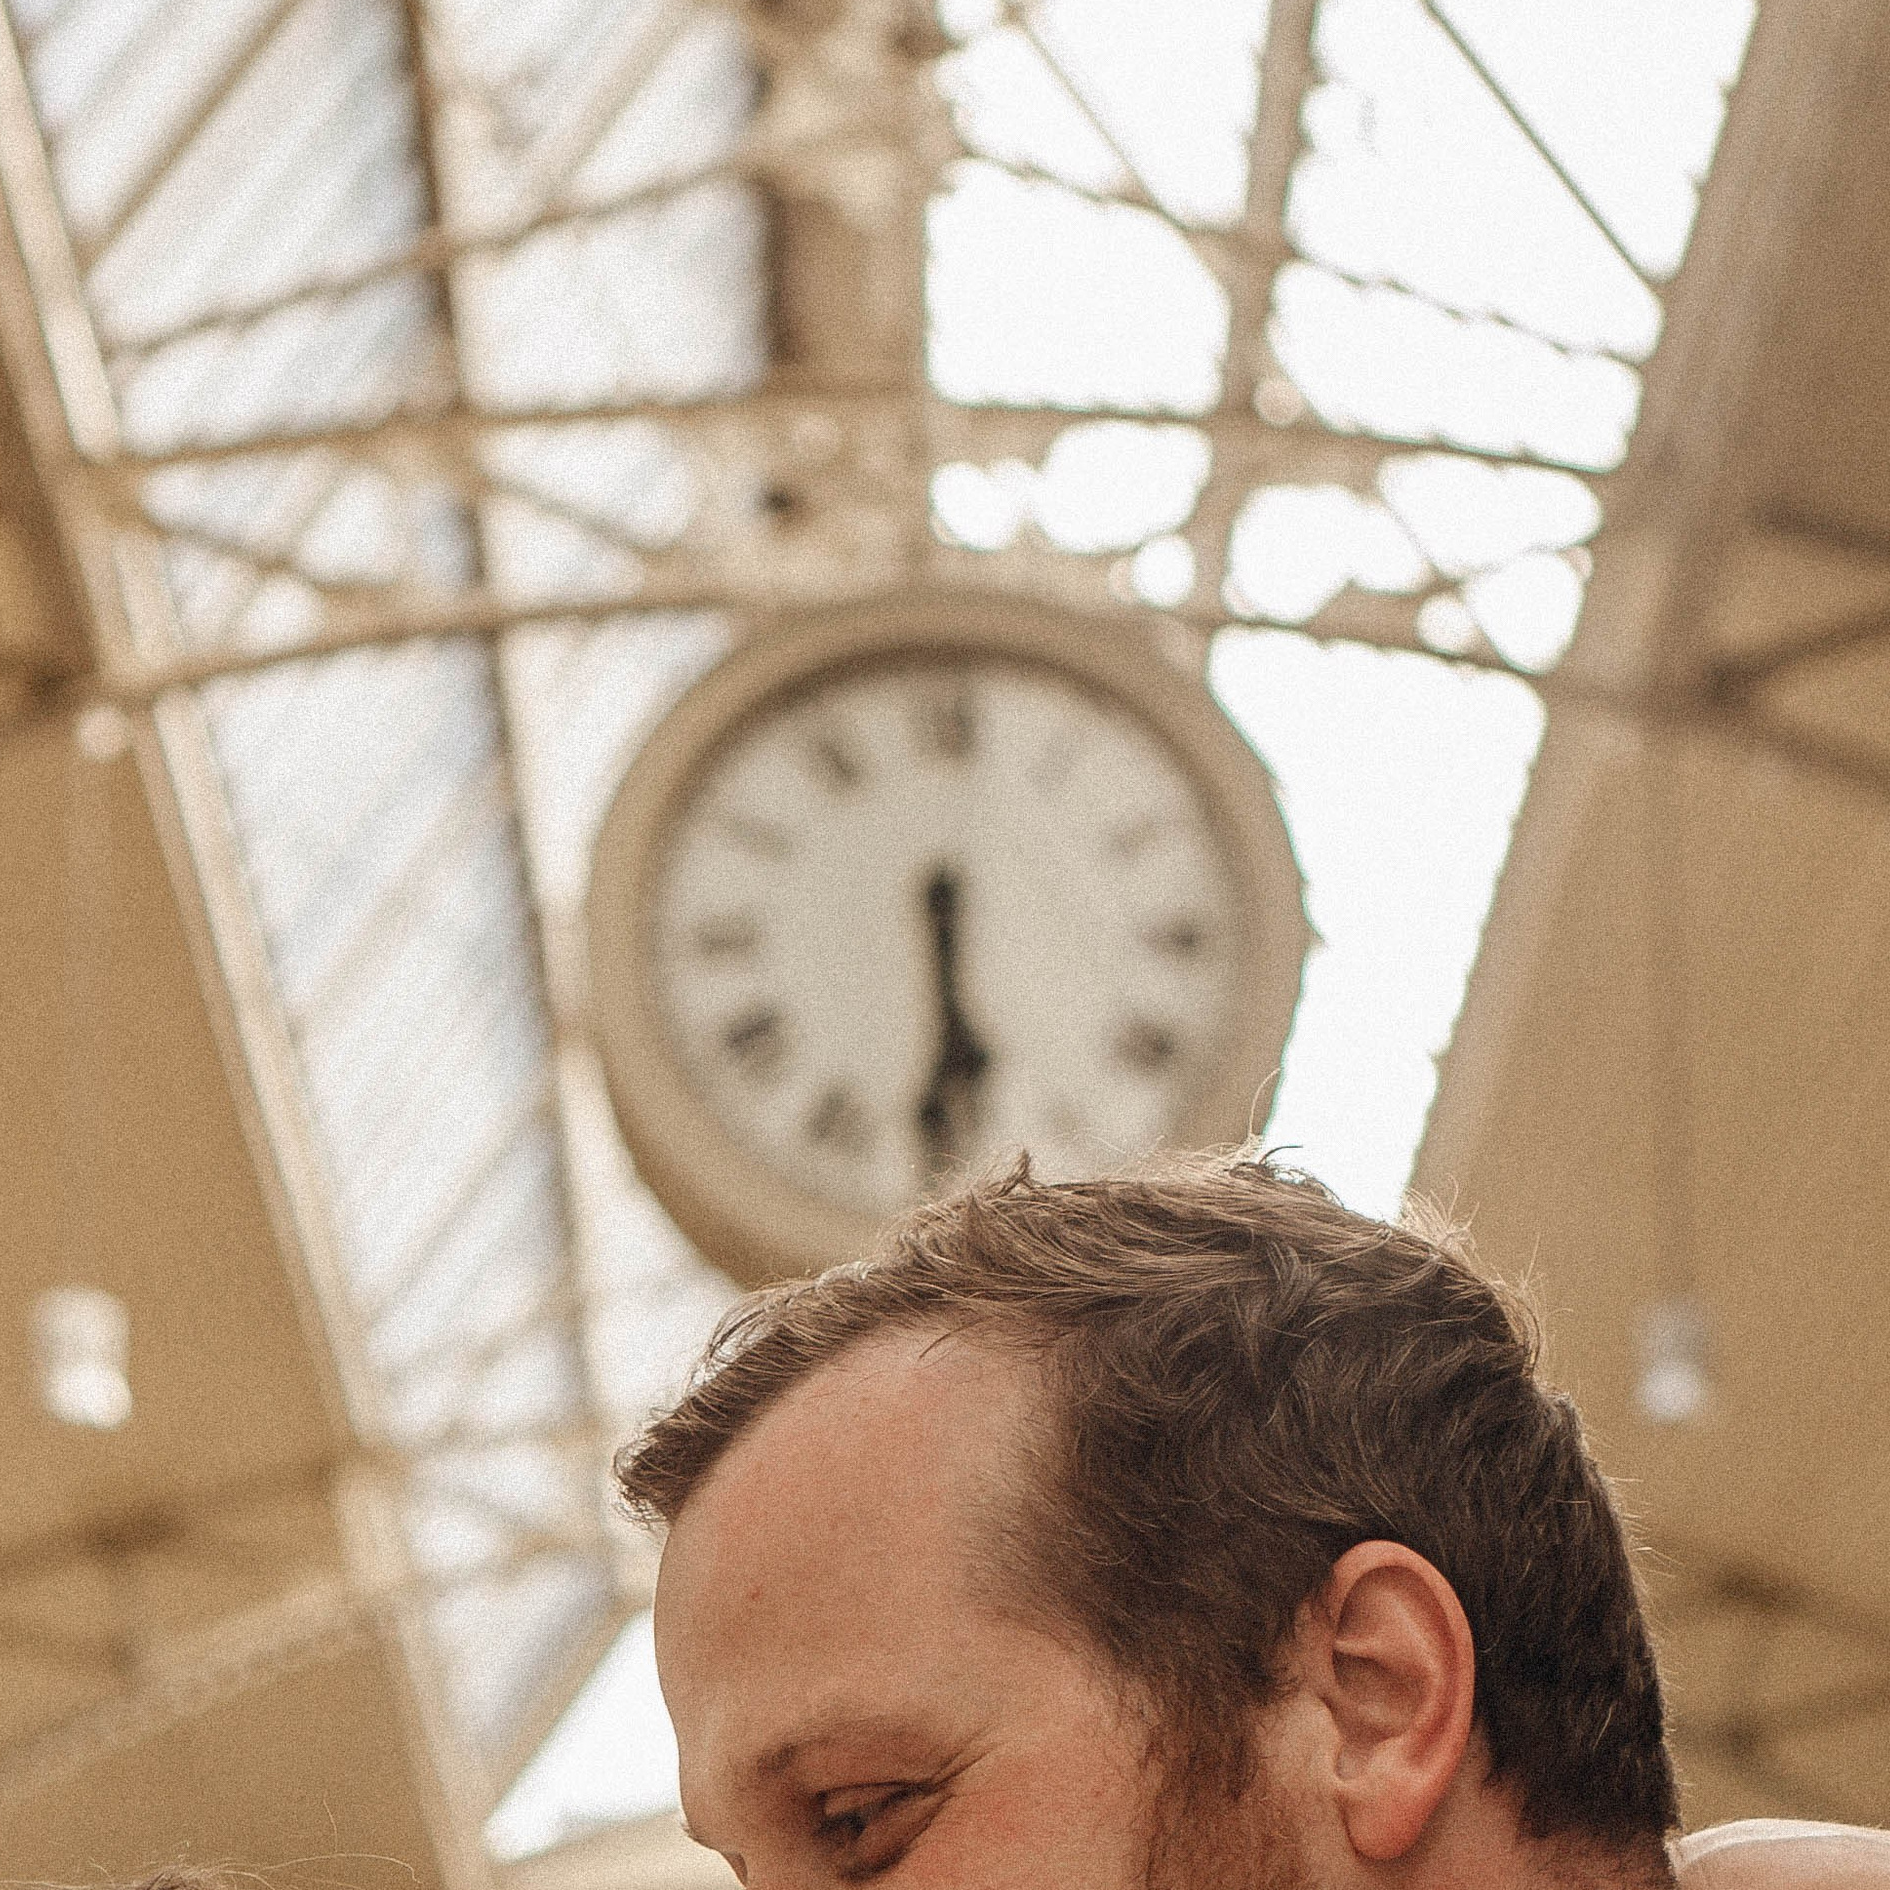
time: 5:29
